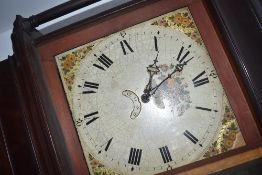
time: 1:11
